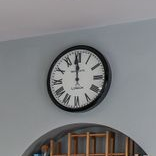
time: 11:58
